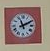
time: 11:10
